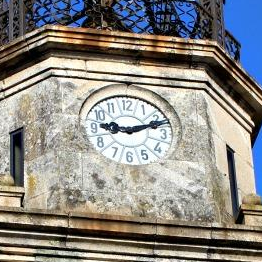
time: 9:11
